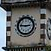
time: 2:46
